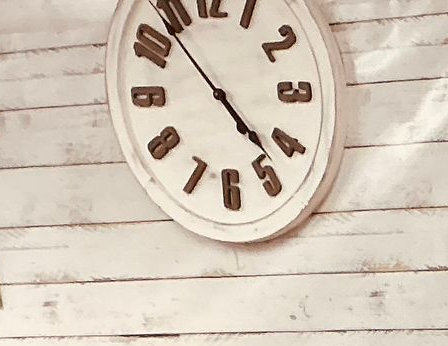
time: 4:53
